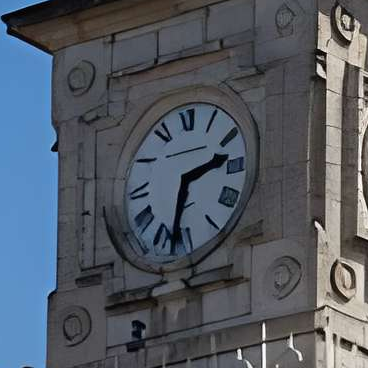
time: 2:32
